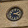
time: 1:18
